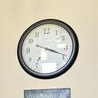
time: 3:48
